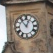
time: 12:53
